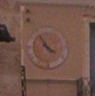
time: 3:54
